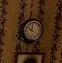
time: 11:51
